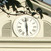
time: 5:59
